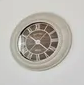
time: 10:20
